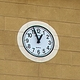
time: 12:56
